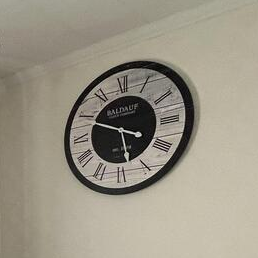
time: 5:49
